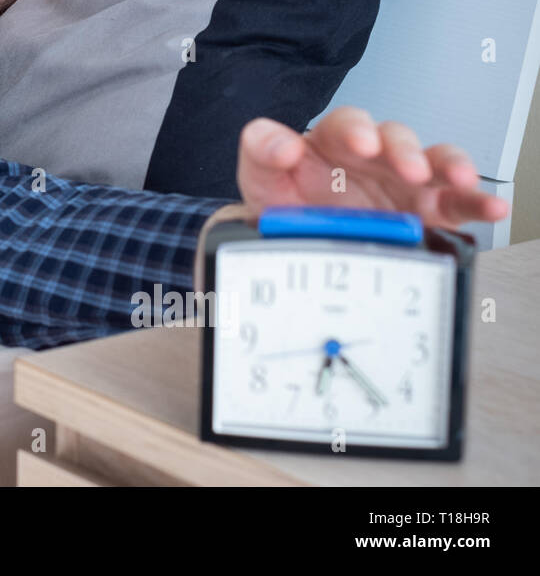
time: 6:23
